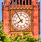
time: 7:54
